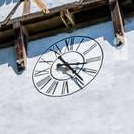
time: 3:23
